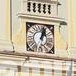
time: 1:02
